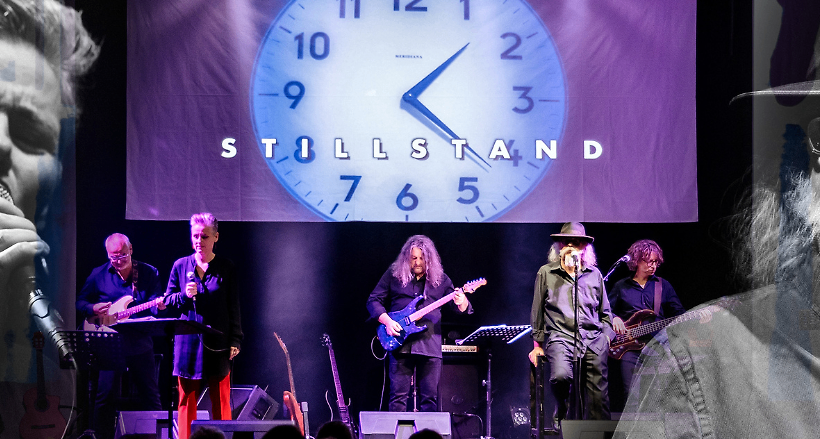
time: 1:21
